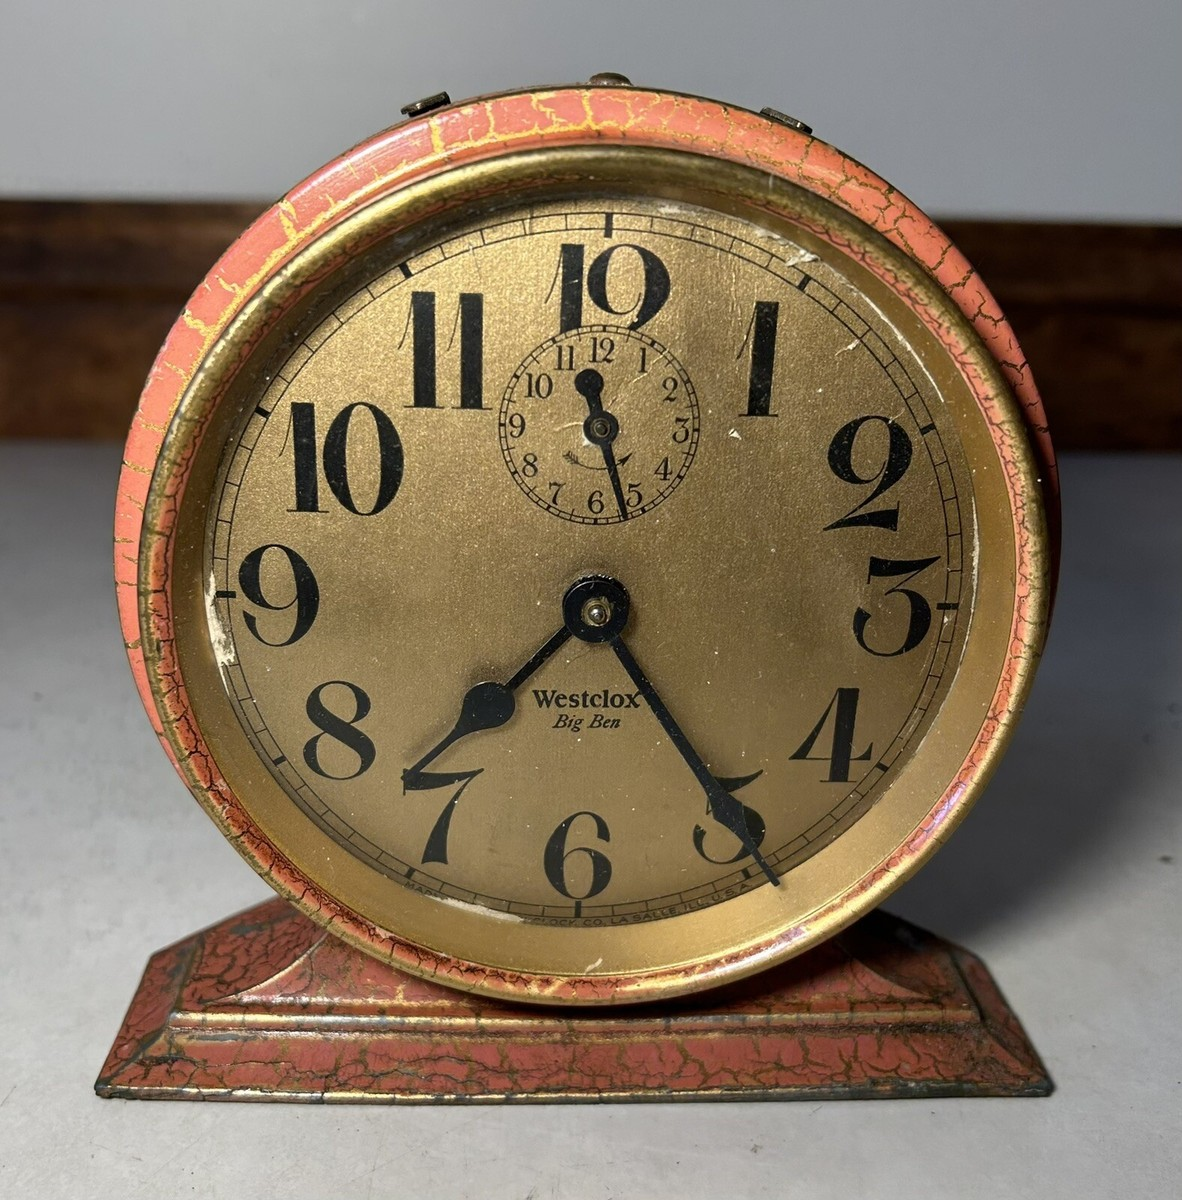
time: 7:24
